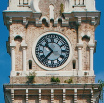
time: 10:37
